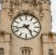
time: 4:42
